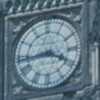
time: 3:43
